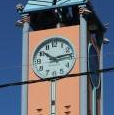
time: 10:13
